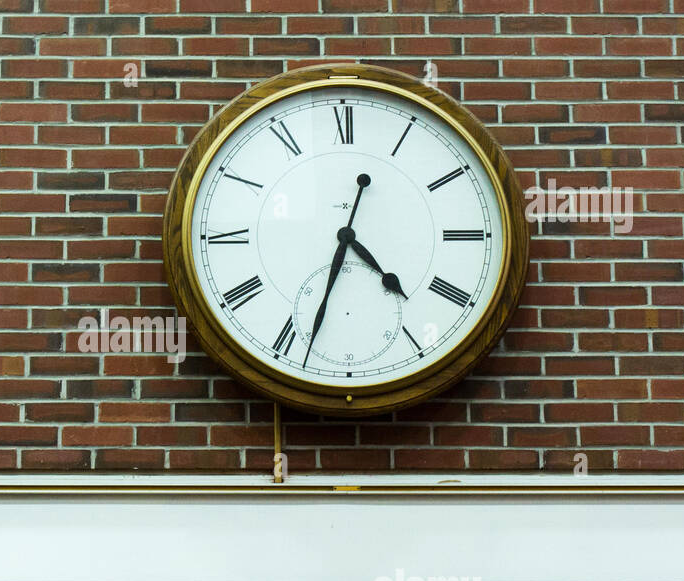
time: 4:33
